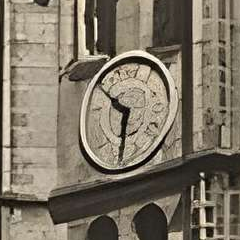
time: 5:49
